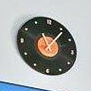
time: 11:06
